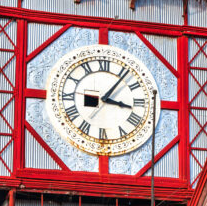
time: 3:06
